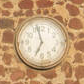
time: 6:57
